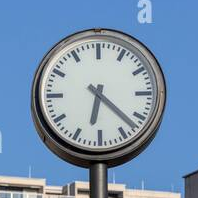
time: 6:22
